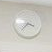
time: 3:37
